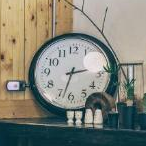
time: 2:32
